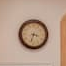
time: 3:33
